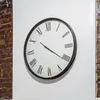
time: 10:20
